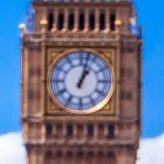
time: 1:02
